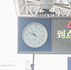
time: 10:48
